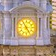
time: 4:54
